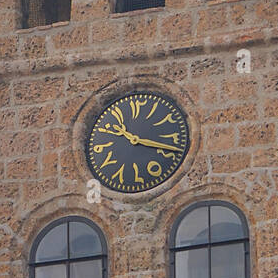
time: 10:18
